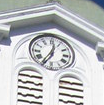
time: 12:35
